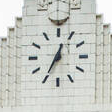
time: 12:34
